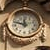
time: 11:47
